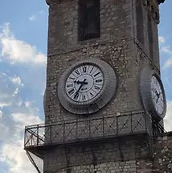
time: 9:35
